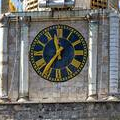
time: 11:36
